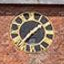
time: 1:36
